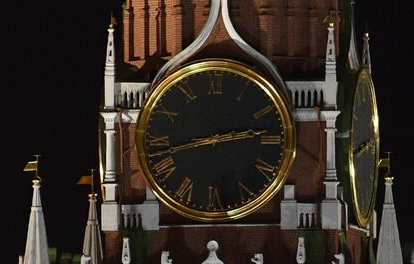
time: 2:42
